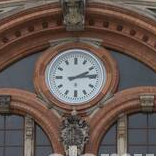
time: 2:14
